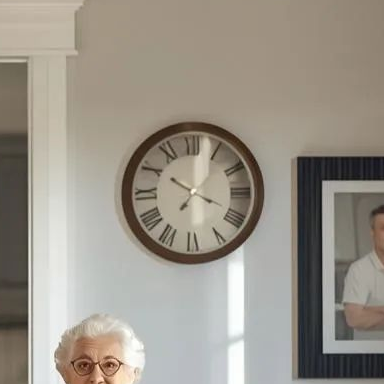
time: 10:01
